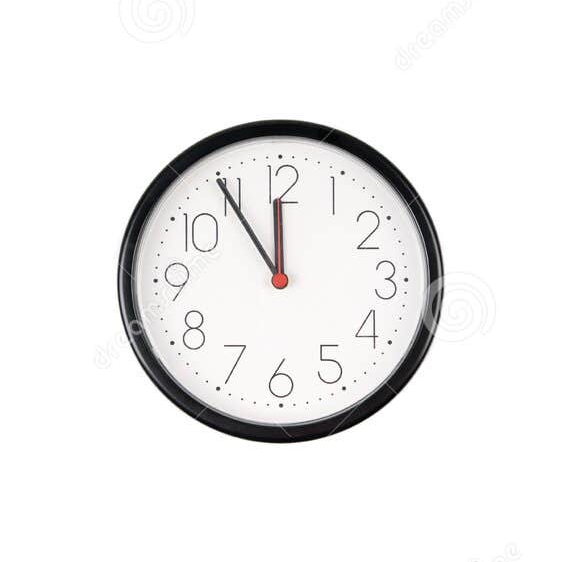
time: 11:54
